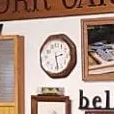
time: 2:28
